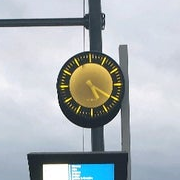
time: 5:20
